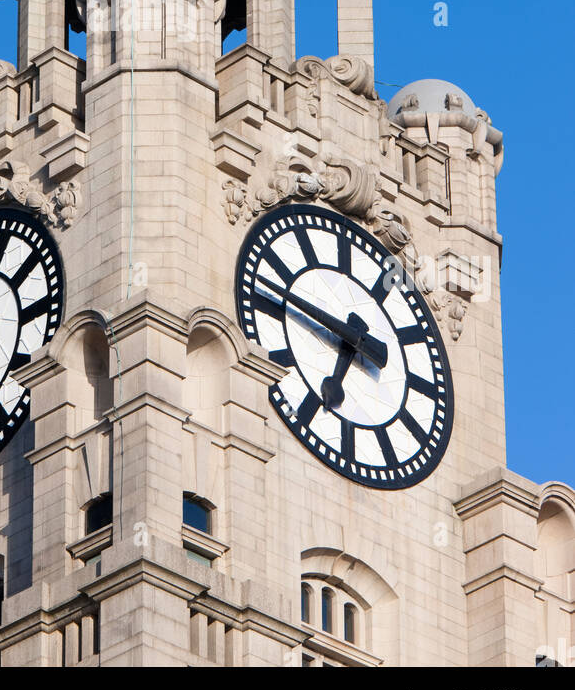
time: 6:47
